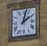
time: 2:02
